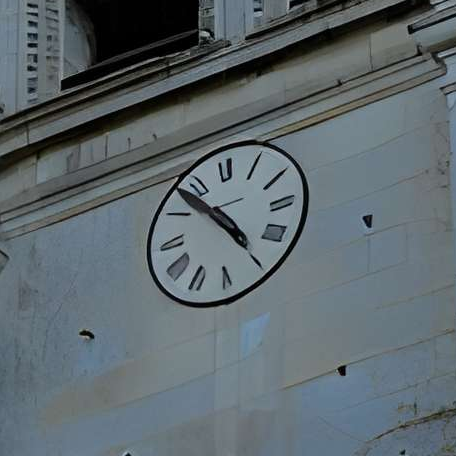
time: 4:52
